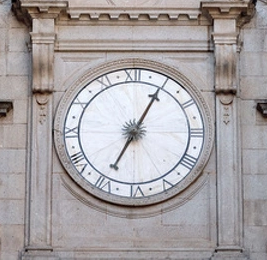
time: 7:04
